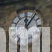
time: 12:06
